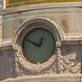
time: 12:49
